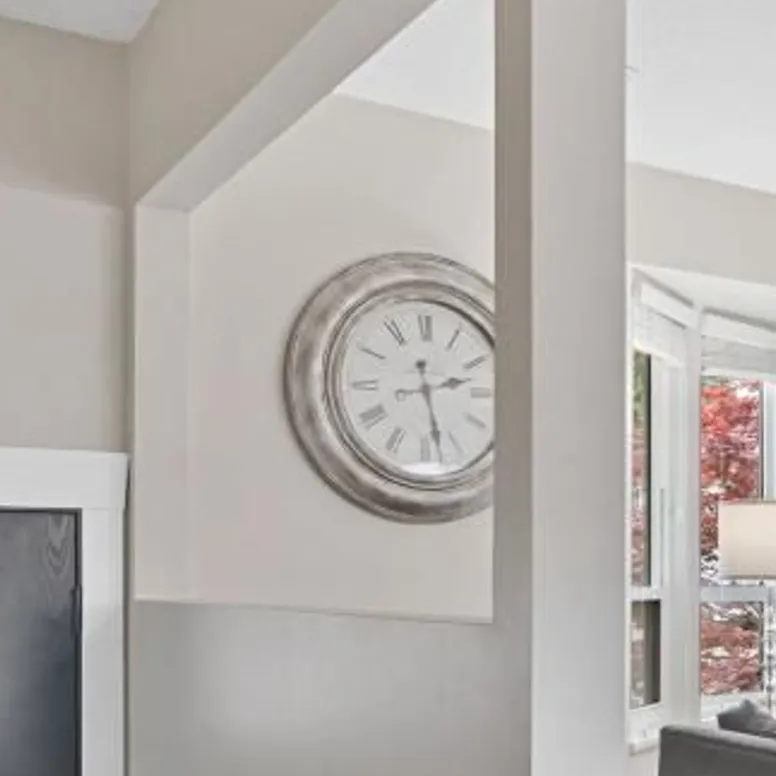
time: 2:27
